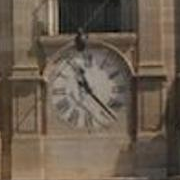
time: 11:22
